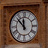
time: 11:52
